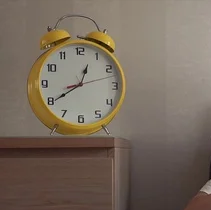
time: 12:39
